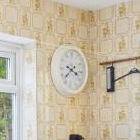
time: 3:38
